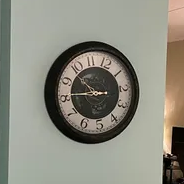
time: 10:45
